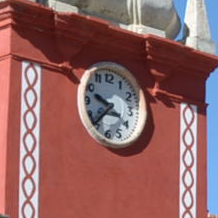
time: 9:37
